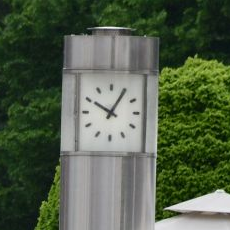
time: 10:05
